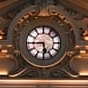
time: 5:44
